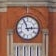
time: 2:56
